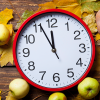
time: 11:55
